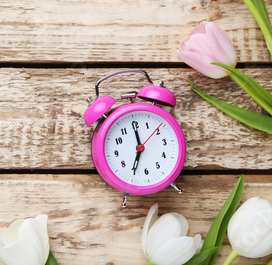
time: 7:00
